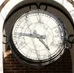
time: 4:46
